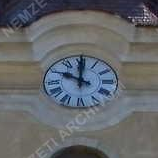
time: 10:00
